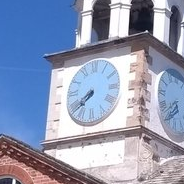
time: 7:38
